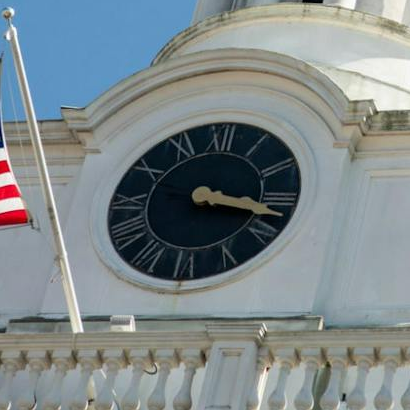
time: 3:17
